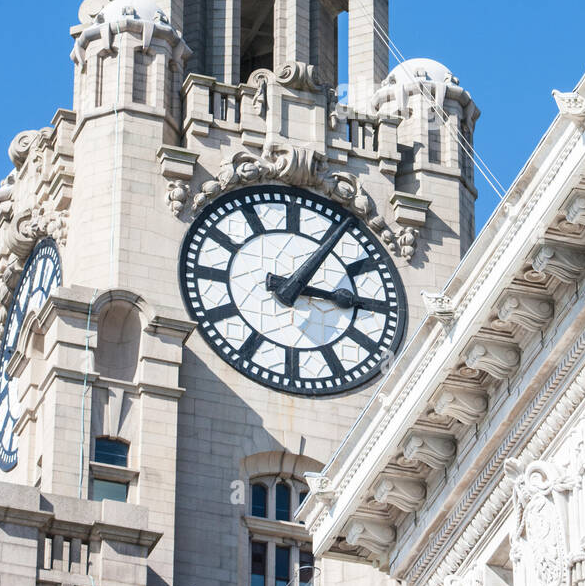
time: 3:05
